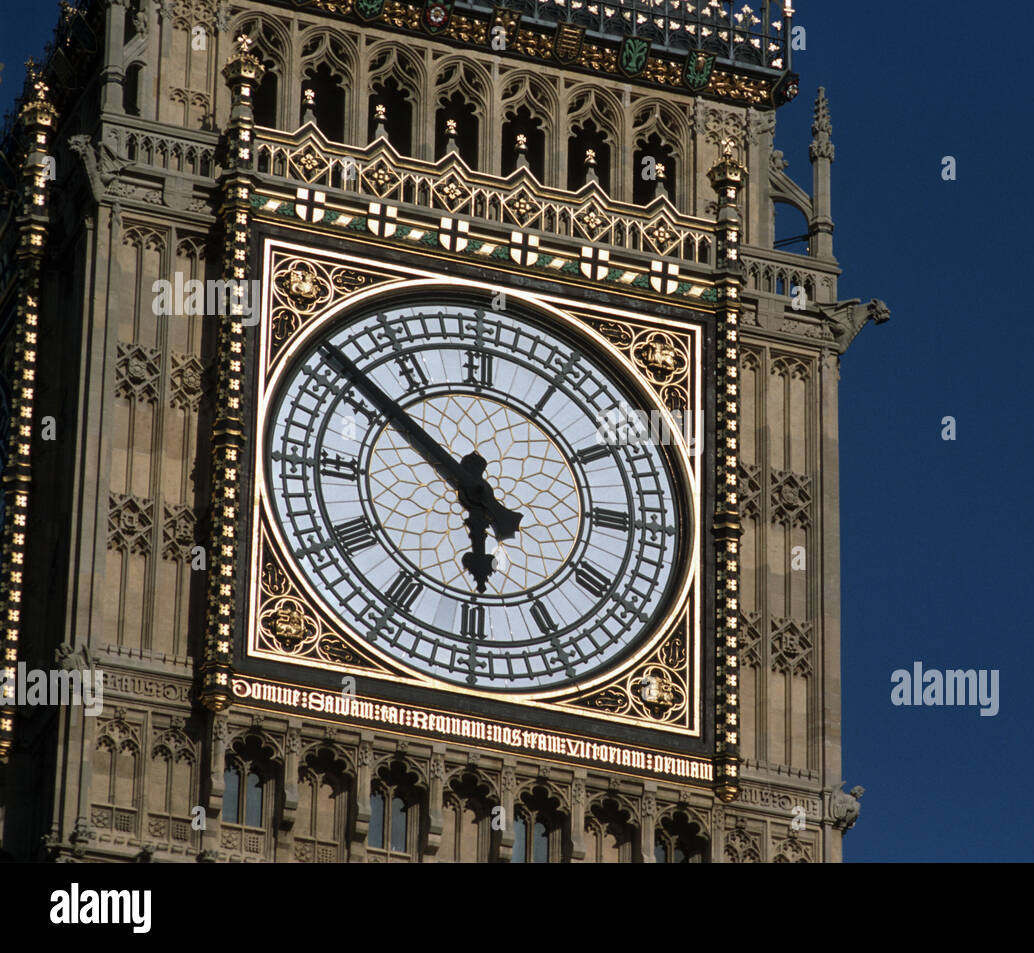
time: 5:51
